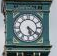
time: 5:21
